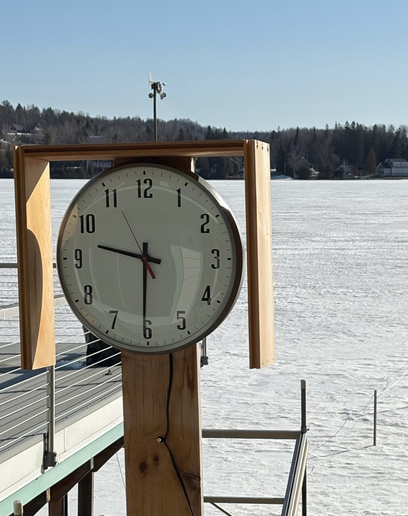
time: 9:30
